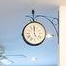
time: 5:00
